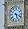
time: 5:18
